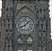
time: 8:07
